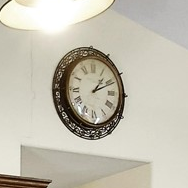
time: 1:11
